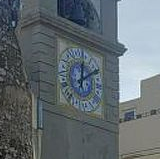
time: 12:09
